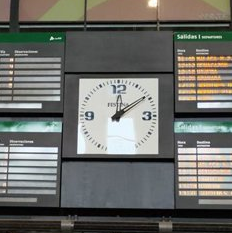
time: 12:09
